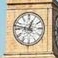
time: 12:47
